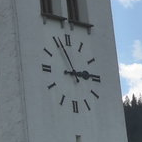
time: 2:56
